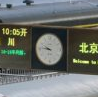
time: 9:45
